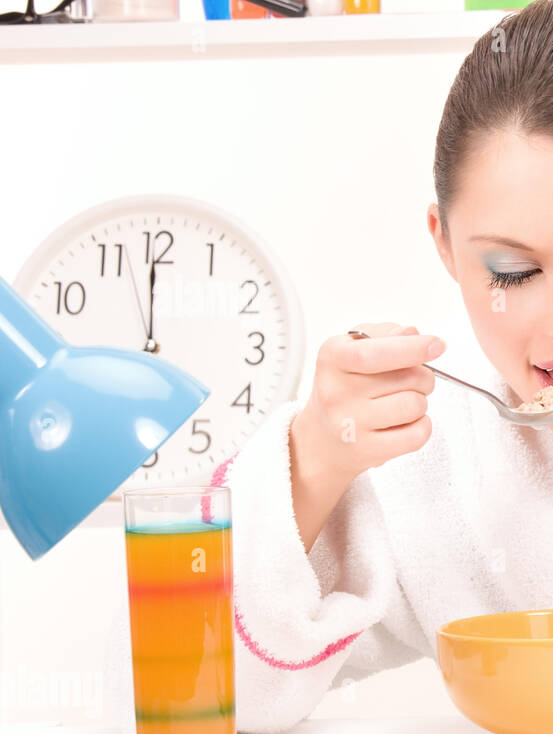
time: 11:59
